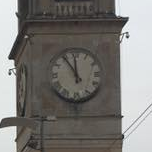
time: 11:54
